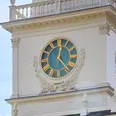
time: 12:23
